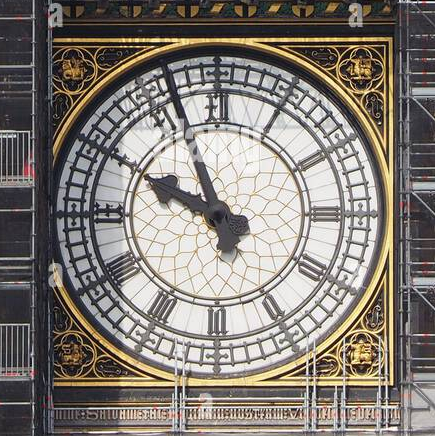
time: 9:56
